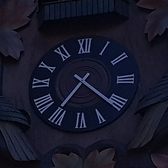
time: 7:21
